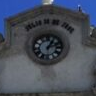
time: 1:12
